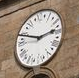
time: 2:48
